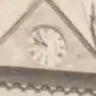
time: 9:53
